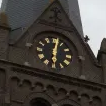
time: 6:01
